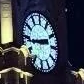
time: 2:43
